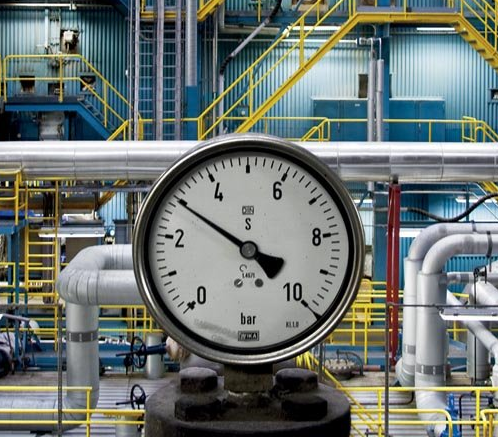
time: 4:50
